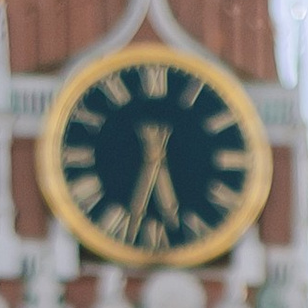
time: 5:32
